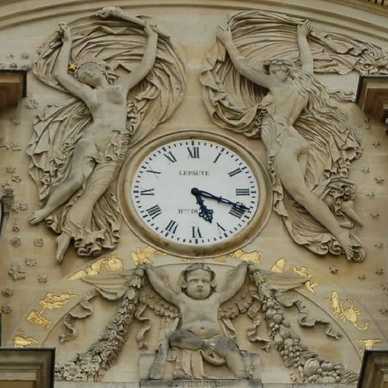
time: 5:18
